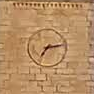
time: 7:13
